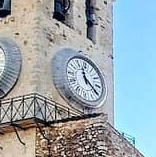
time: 11:20
